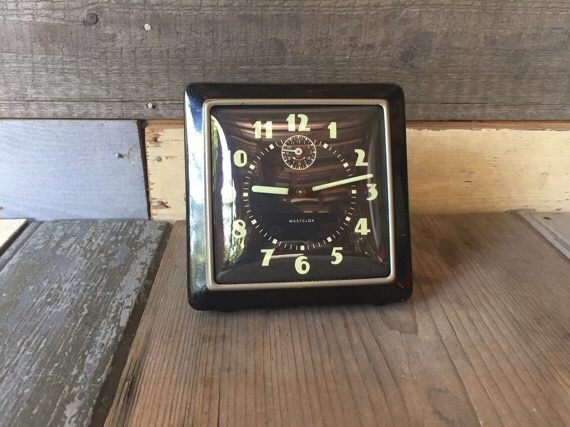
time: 9:12
